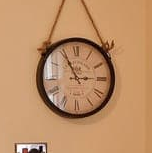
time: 2:55
